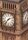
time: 1:36
